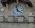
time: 3:58
